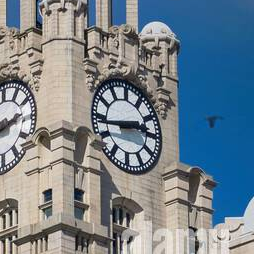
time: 2:43
